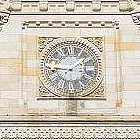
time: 9:09
